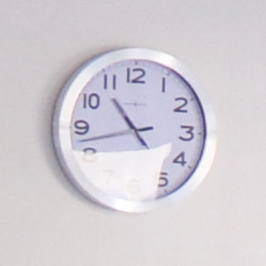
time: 10:42
